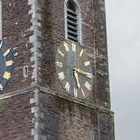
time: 5:15
